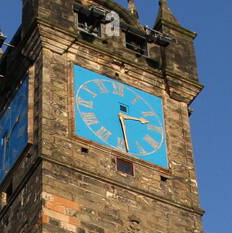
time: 2:28
